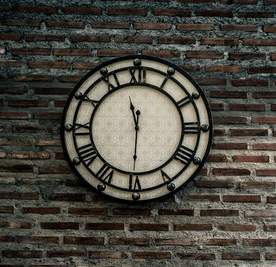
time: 11:30
